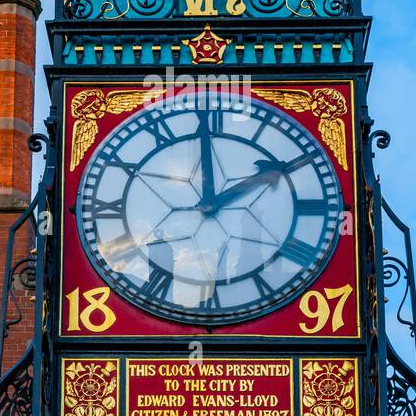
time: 1:59
